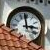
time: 2:58
